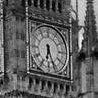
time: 6:26
